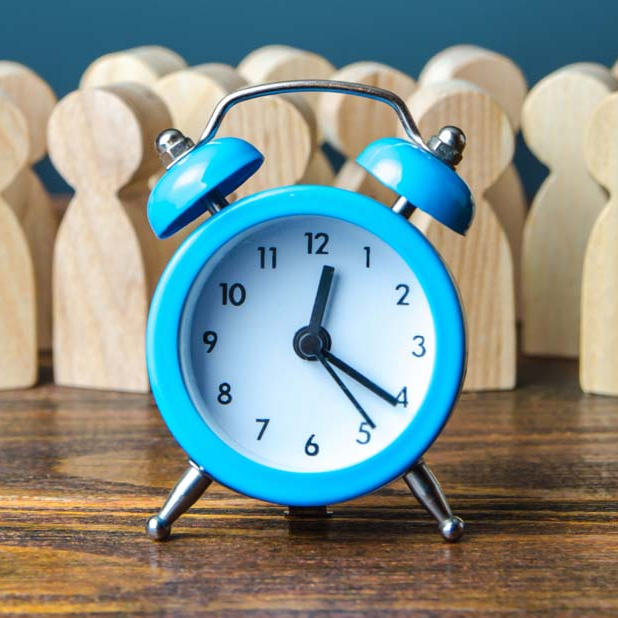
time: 12:20
